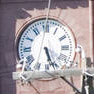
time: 5:26
